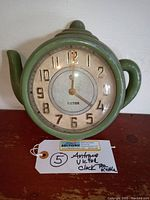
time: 12:21
